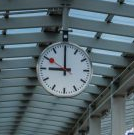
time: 8:59
